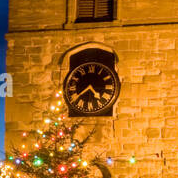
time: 4:39
